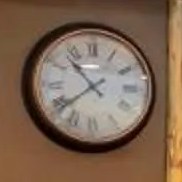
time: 10:38
